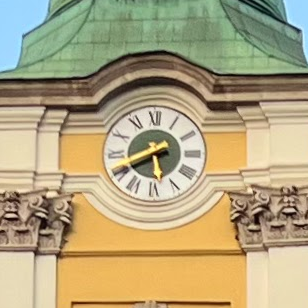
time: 5:40
